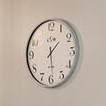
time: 1:29
